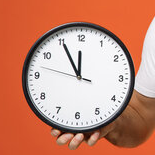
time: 11:55
